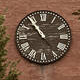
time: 10:54
